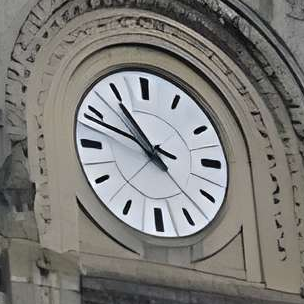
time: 10:48
